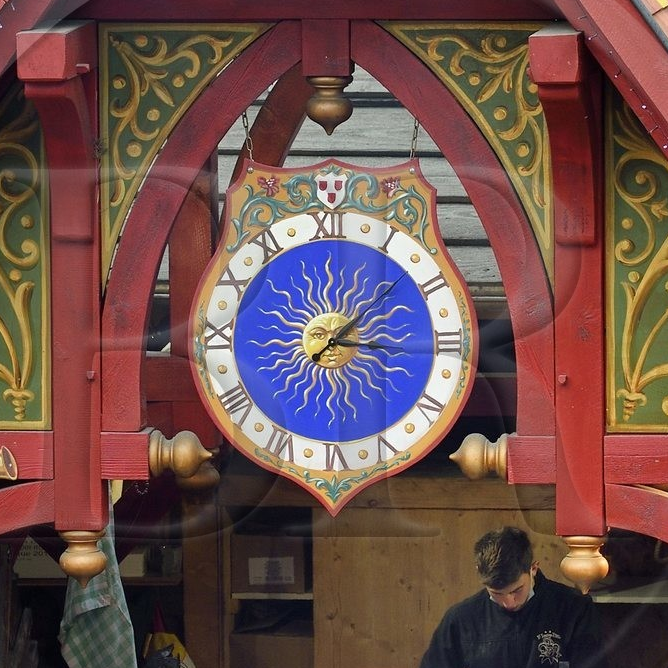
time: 1:16
